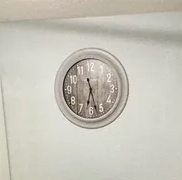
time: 6:27
